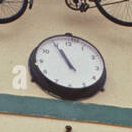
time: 10:55
